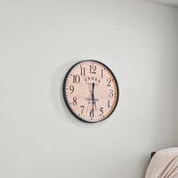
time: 5:29
